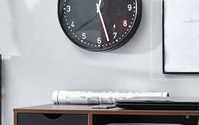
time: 12:27
